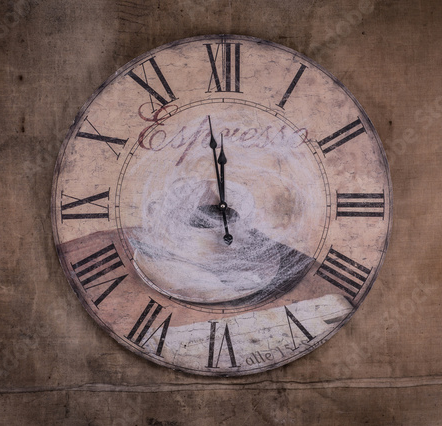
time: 11:58
